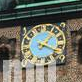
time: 1:18
